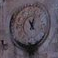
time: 11:02
